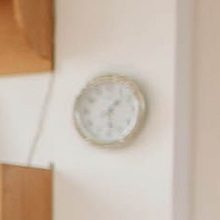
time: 1:28
